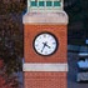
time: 4:35
